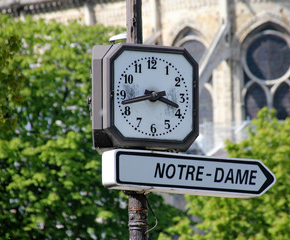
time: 3:42
